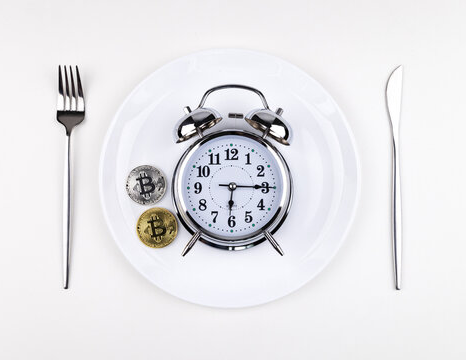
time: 6:14
